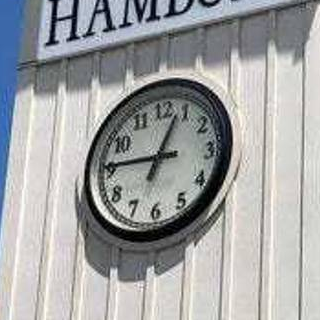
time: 12:45
